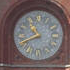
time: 10:41
